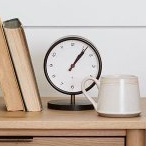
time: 1:06
